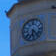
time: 6:22
